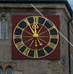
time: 11:55
